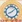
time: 8:08
